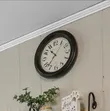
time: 10:37
